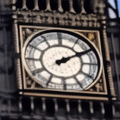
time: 2:10
